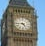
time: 4:44
